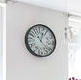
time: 12:22
